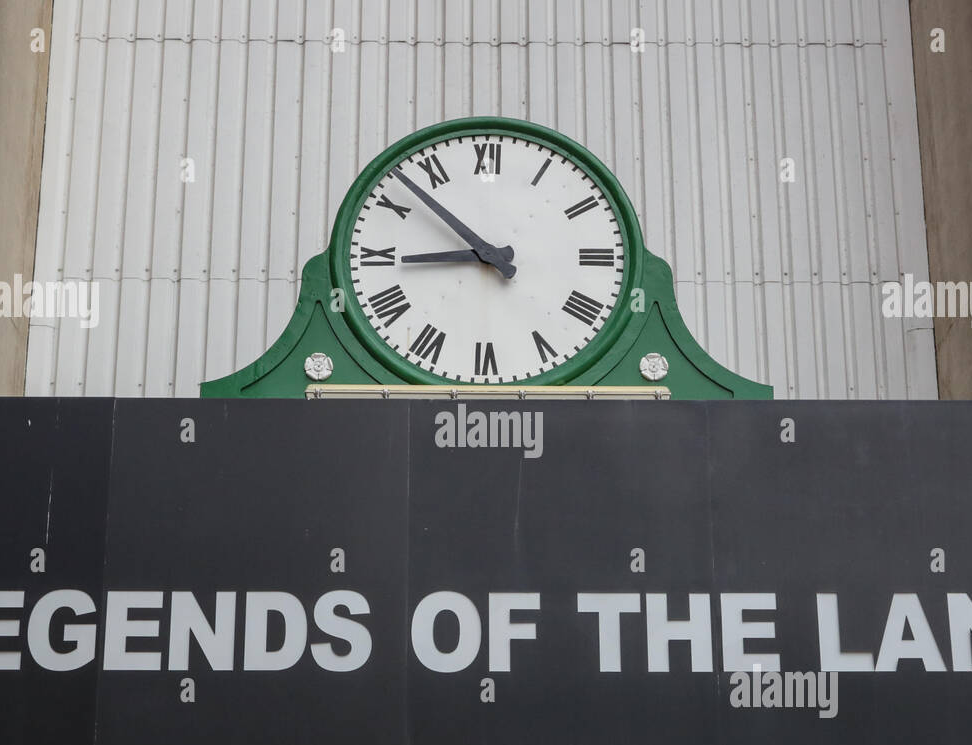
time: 8:52
